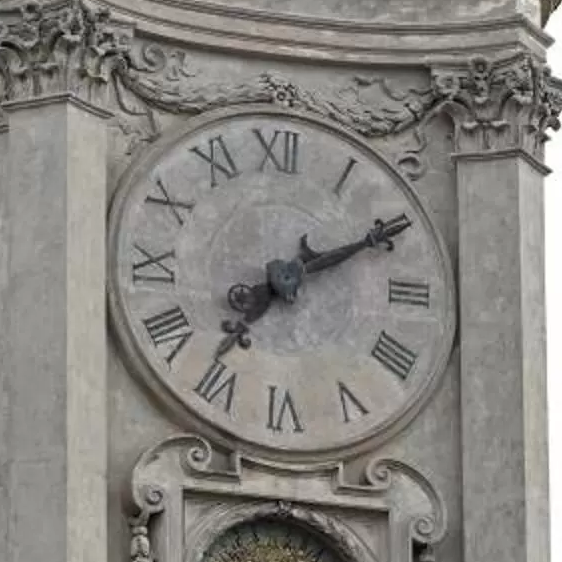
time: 7:10
